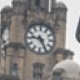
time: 9:25
